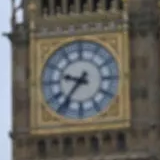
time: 9:36
